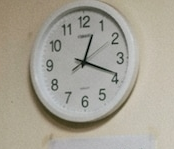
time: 12:18
